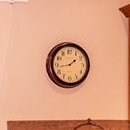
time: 1:43
